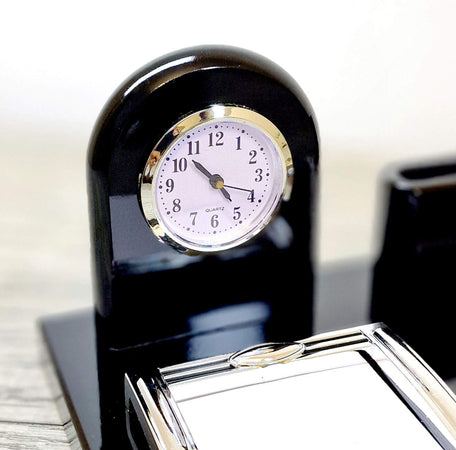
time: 10:23
